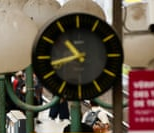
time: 10:42
